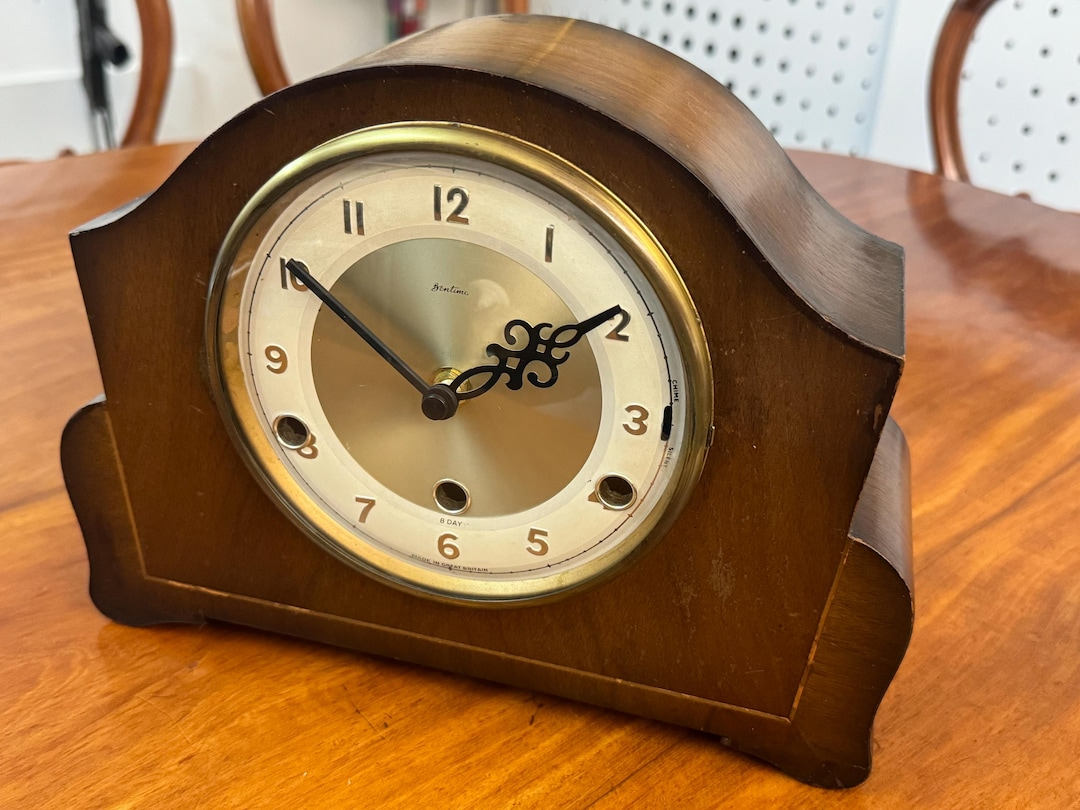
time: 1:50
